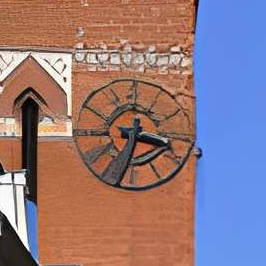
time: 3:34
